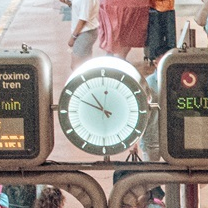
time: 10:49
